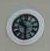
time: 10:30
